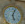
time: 5:03
